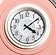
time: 4:08
